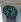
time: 10:34
